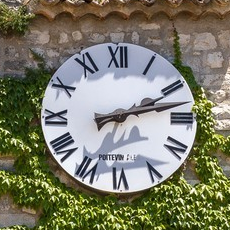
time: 2:12
